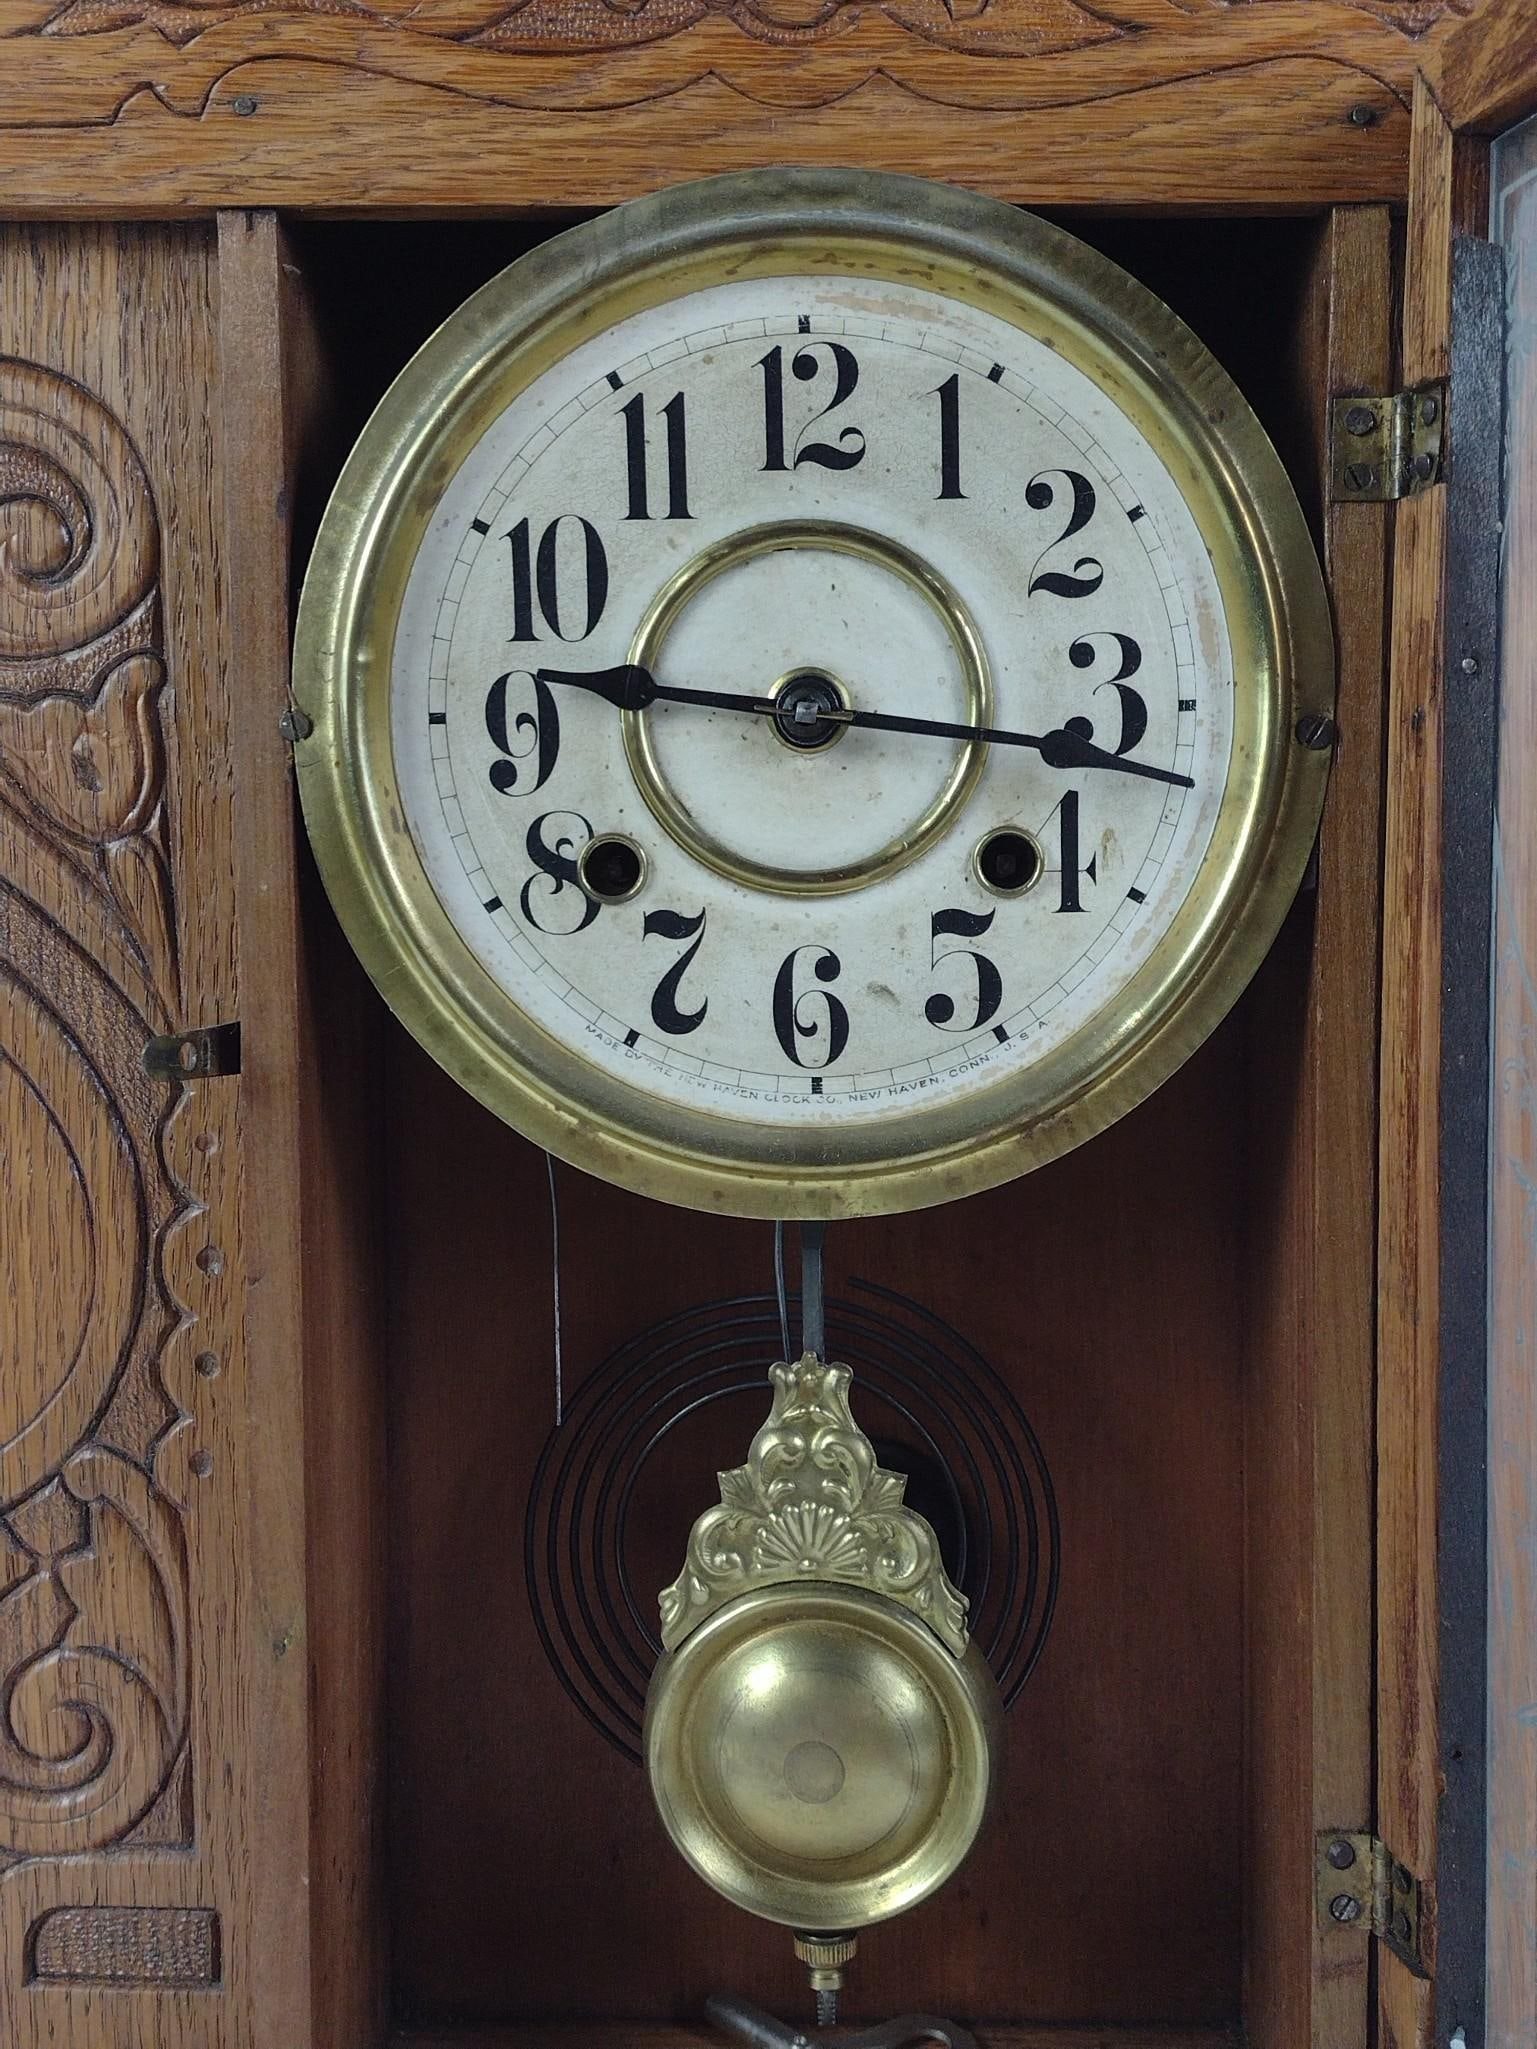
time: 9:16
